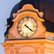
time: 4:21
